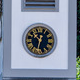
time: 10:32
